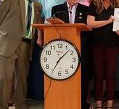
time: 7:07
